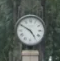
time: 4:49
